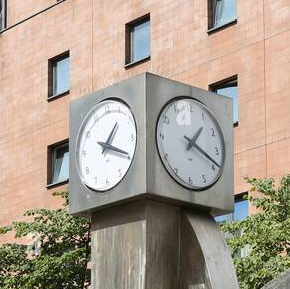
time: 1:18
